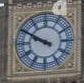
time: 9:50
